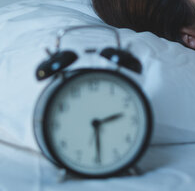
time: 2:29
